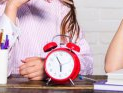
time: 5:55
